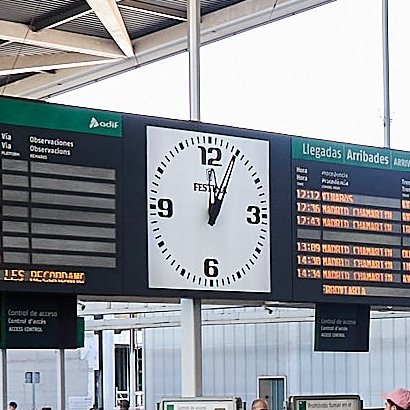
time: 12:04
